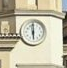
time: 5:59
